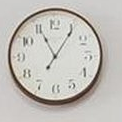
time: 11:05
